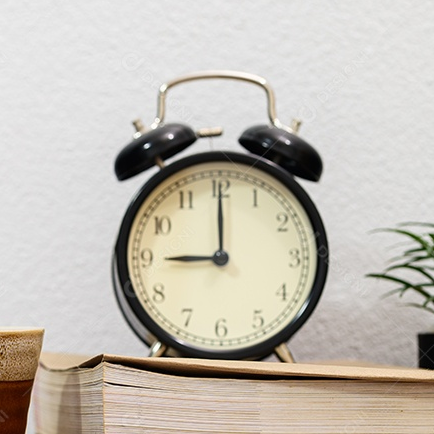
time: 9:00
